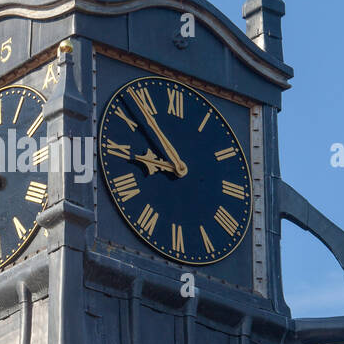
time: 8:53
